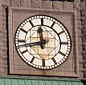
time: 11:43
